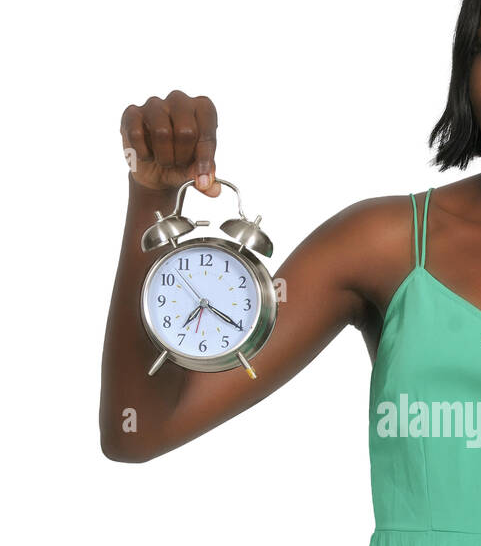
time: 7:20
